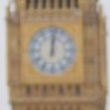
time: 12:01
